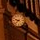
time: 9:38
